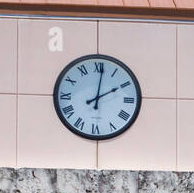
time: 2:01
